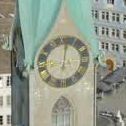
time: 5:59
